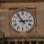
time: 2:54
